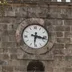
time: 6:17
